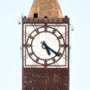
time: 5:21
